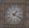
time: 1:18
